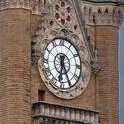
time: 6:25
